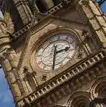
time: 2:29
